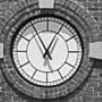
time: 12:55
